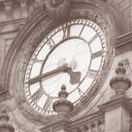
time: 4:44
